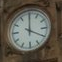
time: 4:00
